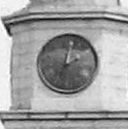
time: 2:02
